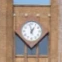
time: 12:57
